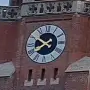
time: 7:50
